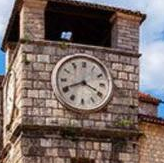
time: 8:19
